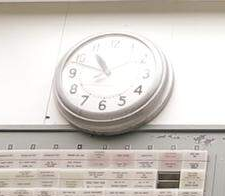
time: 10:48
